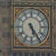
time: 5:24
